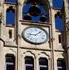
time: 9:07
